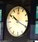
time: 10:19
